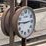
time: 2:45
